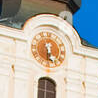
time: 5:30
